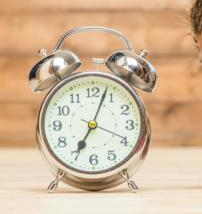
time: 7:03
